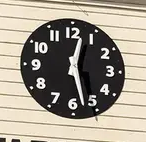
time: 12:27
